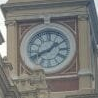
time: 1:41
